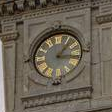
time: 1:16
